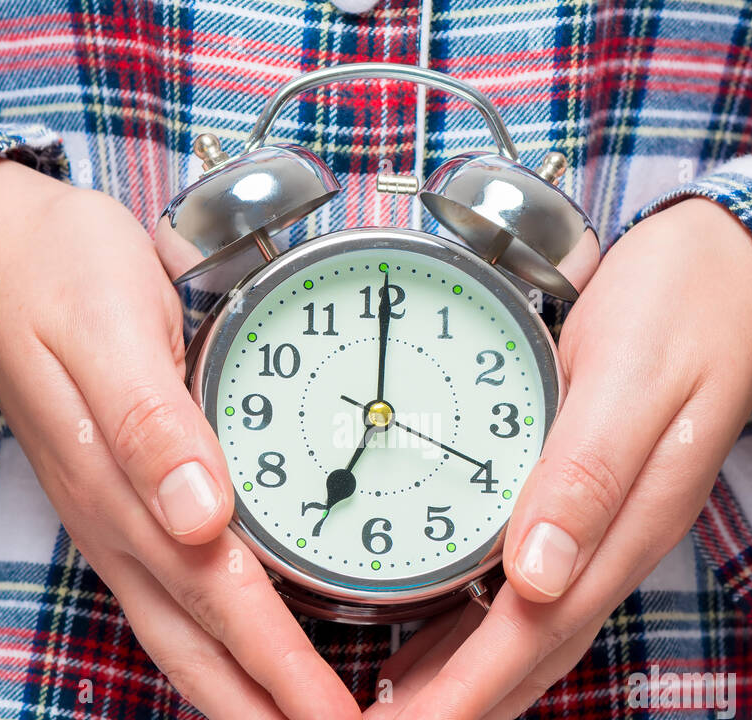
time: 7:00
